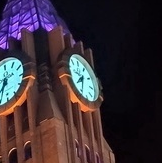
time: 7:32
